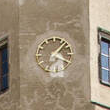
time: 1:18
